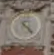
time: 4:22
